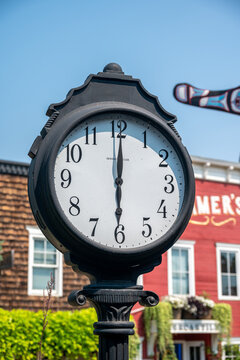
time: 6:00
